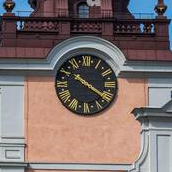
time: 10:20
